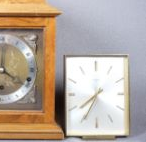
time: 7:34
